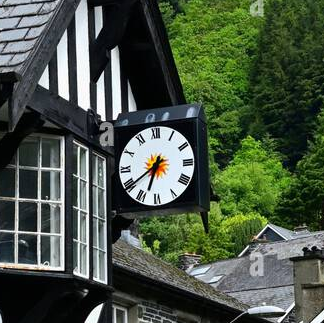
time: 6:39
